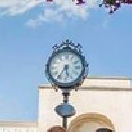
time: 5:35
